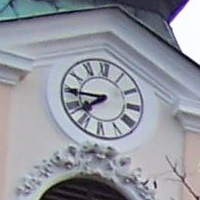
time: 7:44
